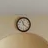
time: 11:21
